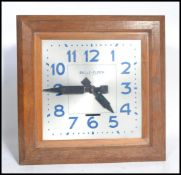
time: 4:44
